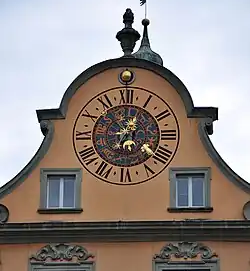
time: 12:53
